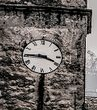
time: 3:45
